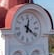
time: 12:21
